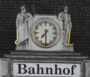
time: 7:30
